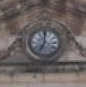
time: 7:00
